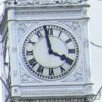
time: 3:58
